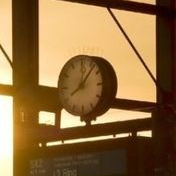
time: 8:06
